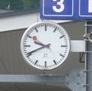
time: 9:41
